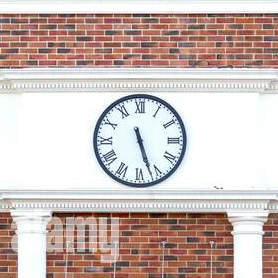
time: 5:26
